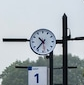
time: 10:36
